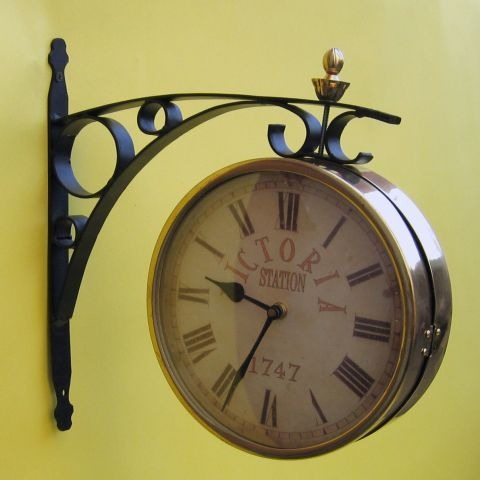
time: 9:34
